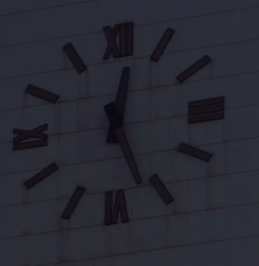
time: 12:26
